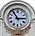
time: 2:54
